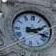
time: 2:17
